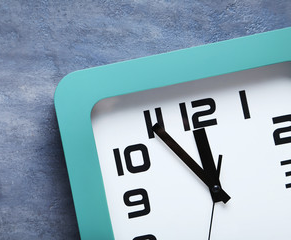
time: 11:54
